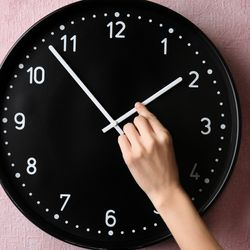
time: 1:53
